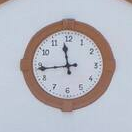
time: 11:43
